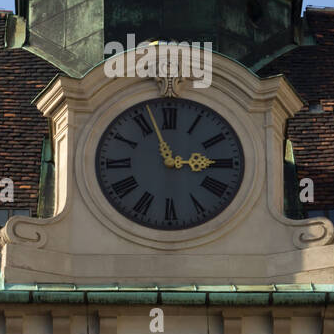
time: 2:56
